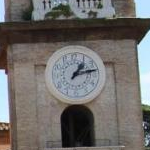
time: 1:13
